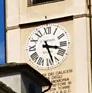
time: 3:27
